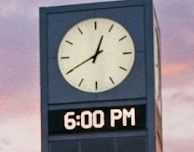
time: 12:40
